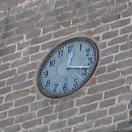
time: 12:17
